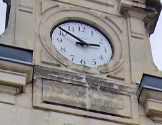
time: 2:50
